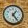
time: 1:24
